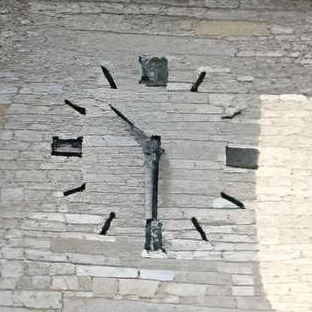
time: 10:30
